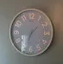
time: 1:34
